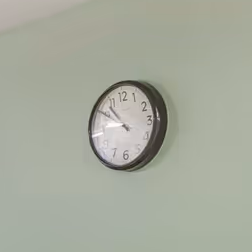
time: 9:53
